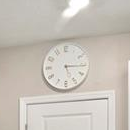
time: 5:15
